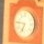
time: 6:46
